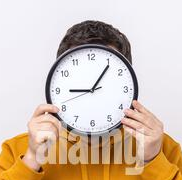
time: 9:06
